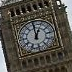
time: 1:00
